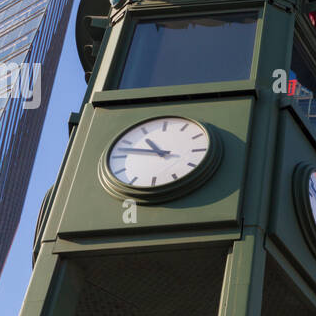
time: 10:47
